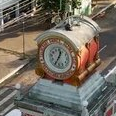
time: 12:34
